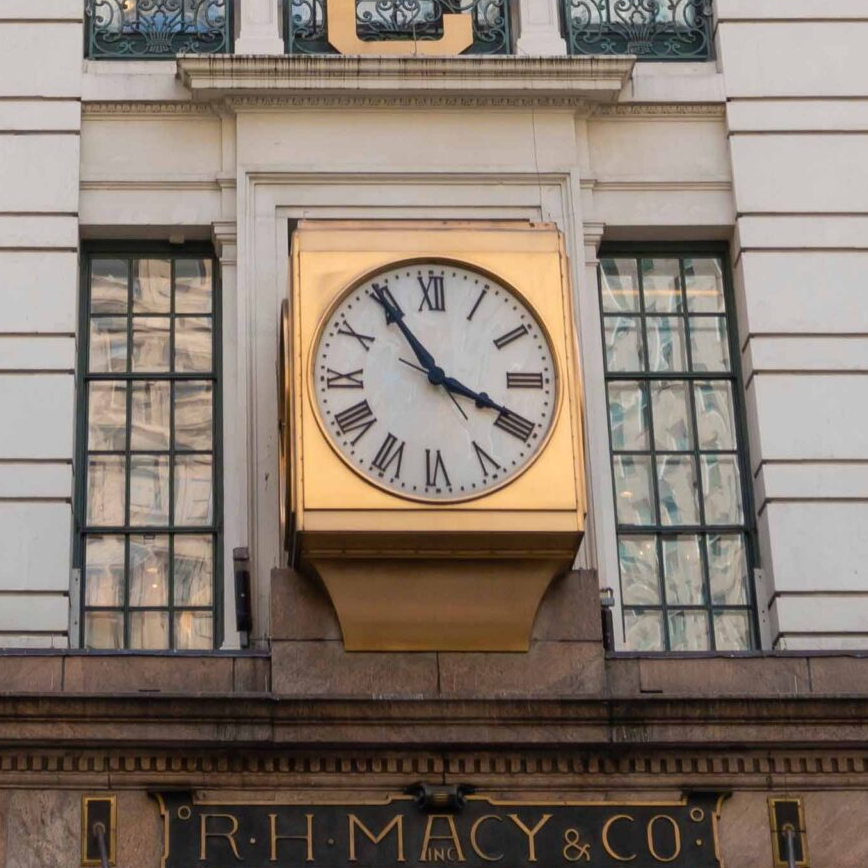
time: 3:54
